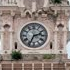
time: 2:34
